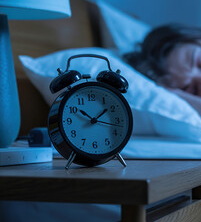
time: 10:08
